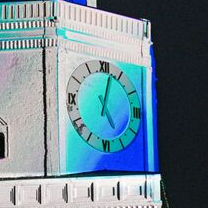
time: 5:02
